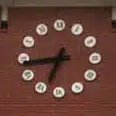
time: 6:44
